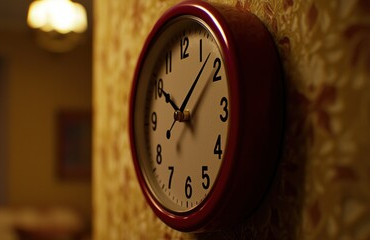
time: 10:07
